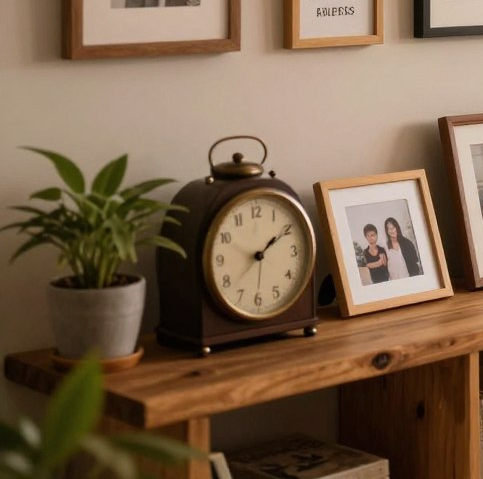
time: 2:09
